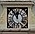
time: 11:54
